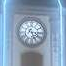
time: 5:15
